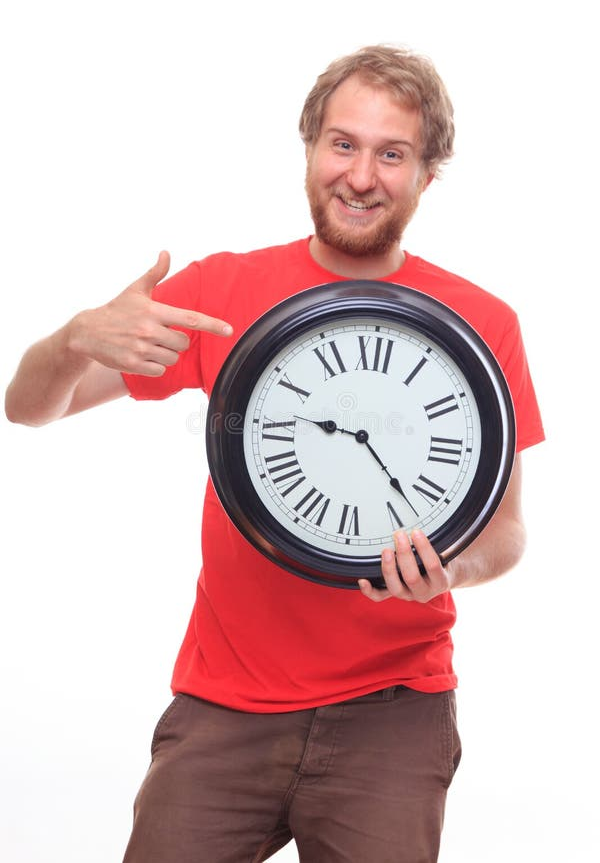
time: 9:22
